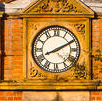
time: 8:10
